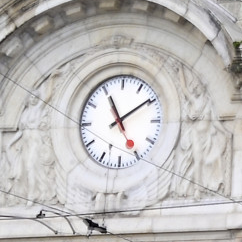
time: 11:09
